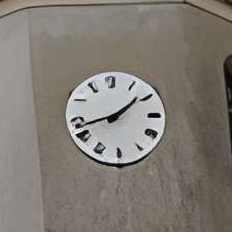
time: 1:42
